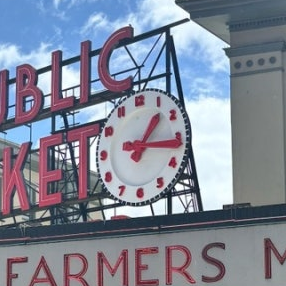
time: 1:16
